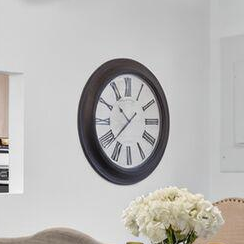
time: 10:37
